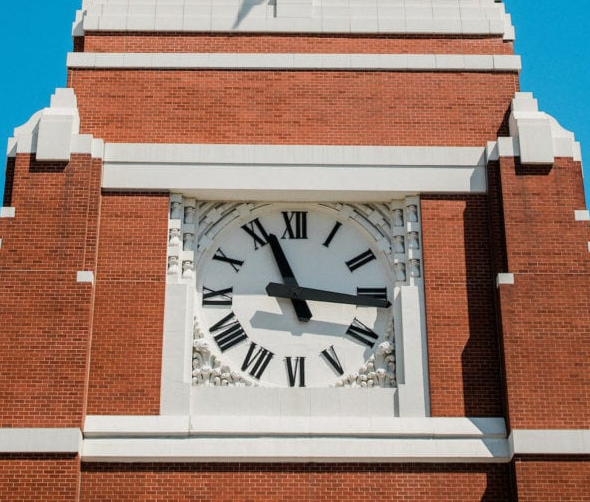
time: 11:15
